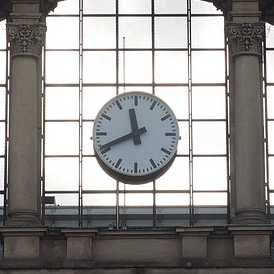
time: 11:41
